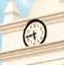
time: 5:42
